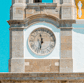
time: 11:32
